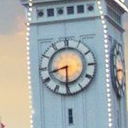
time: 8:30
